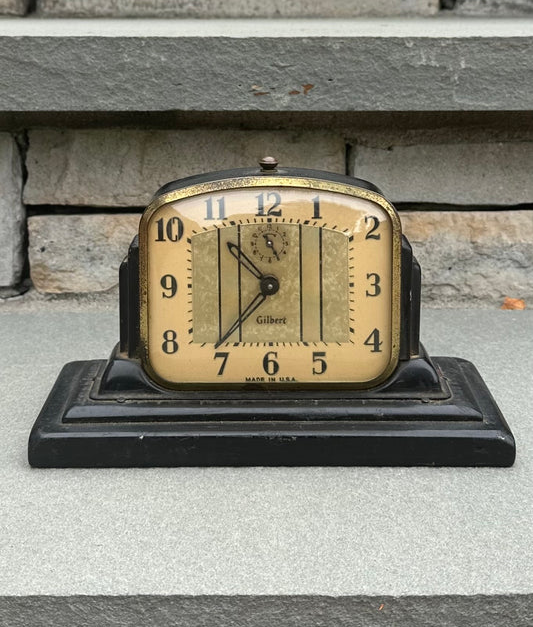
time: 10:36
